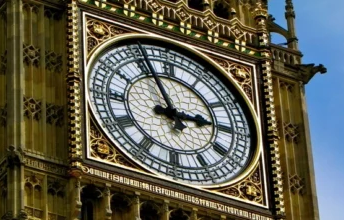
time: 2:56
